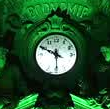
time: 5:49
